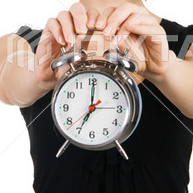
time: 7:00
